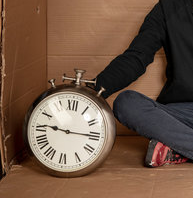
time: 9:15
